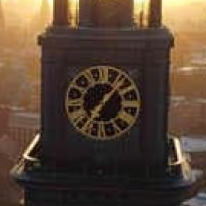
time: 7:07
